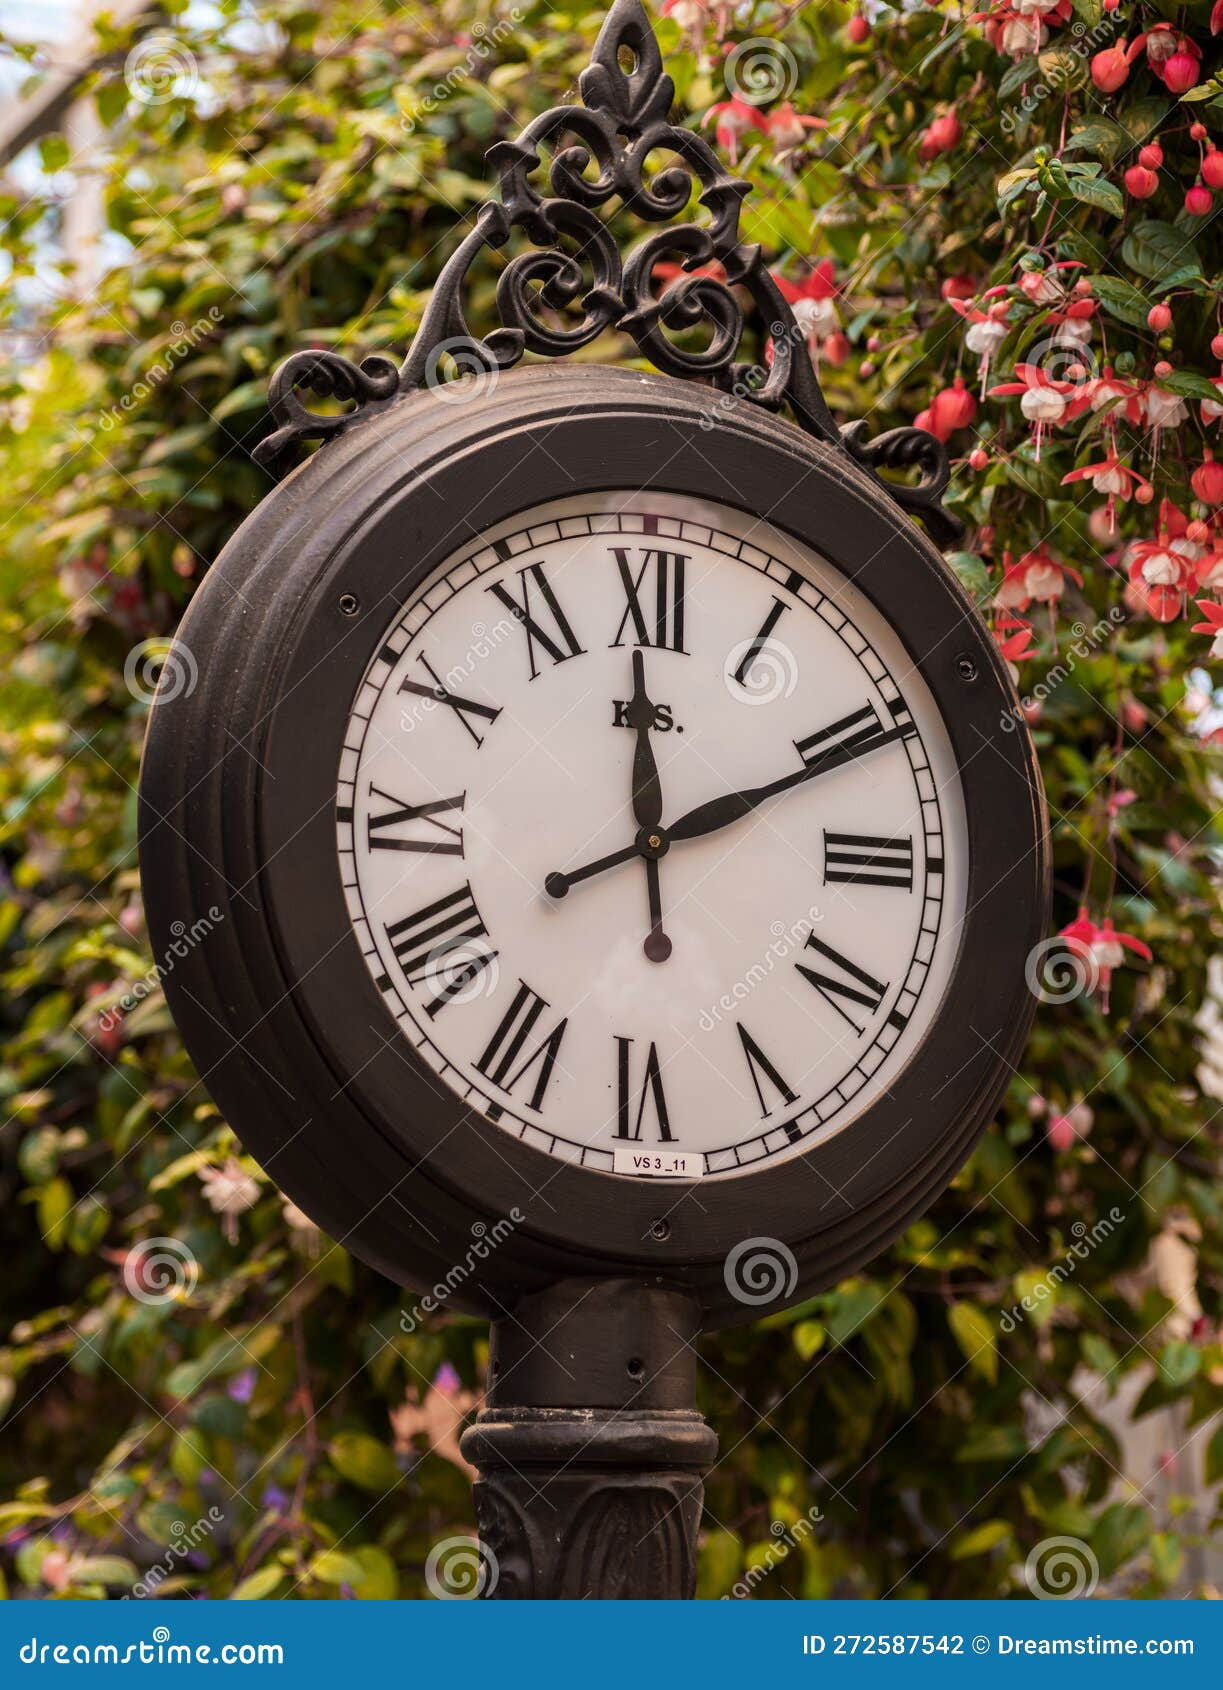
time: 1:59
